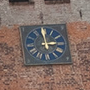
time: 2:59
